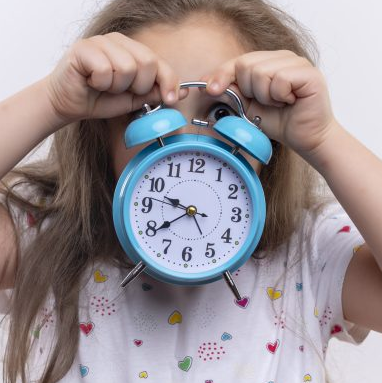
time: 9:39
